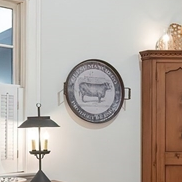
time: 2:46
